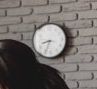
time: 8:34
